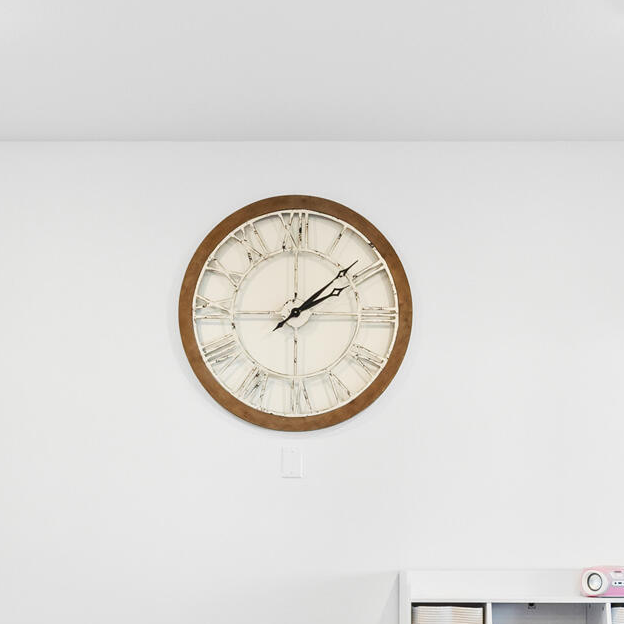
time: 2:08
